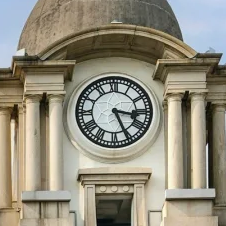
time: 3:25
